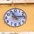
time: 11:13
